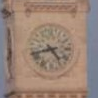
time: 4:42
